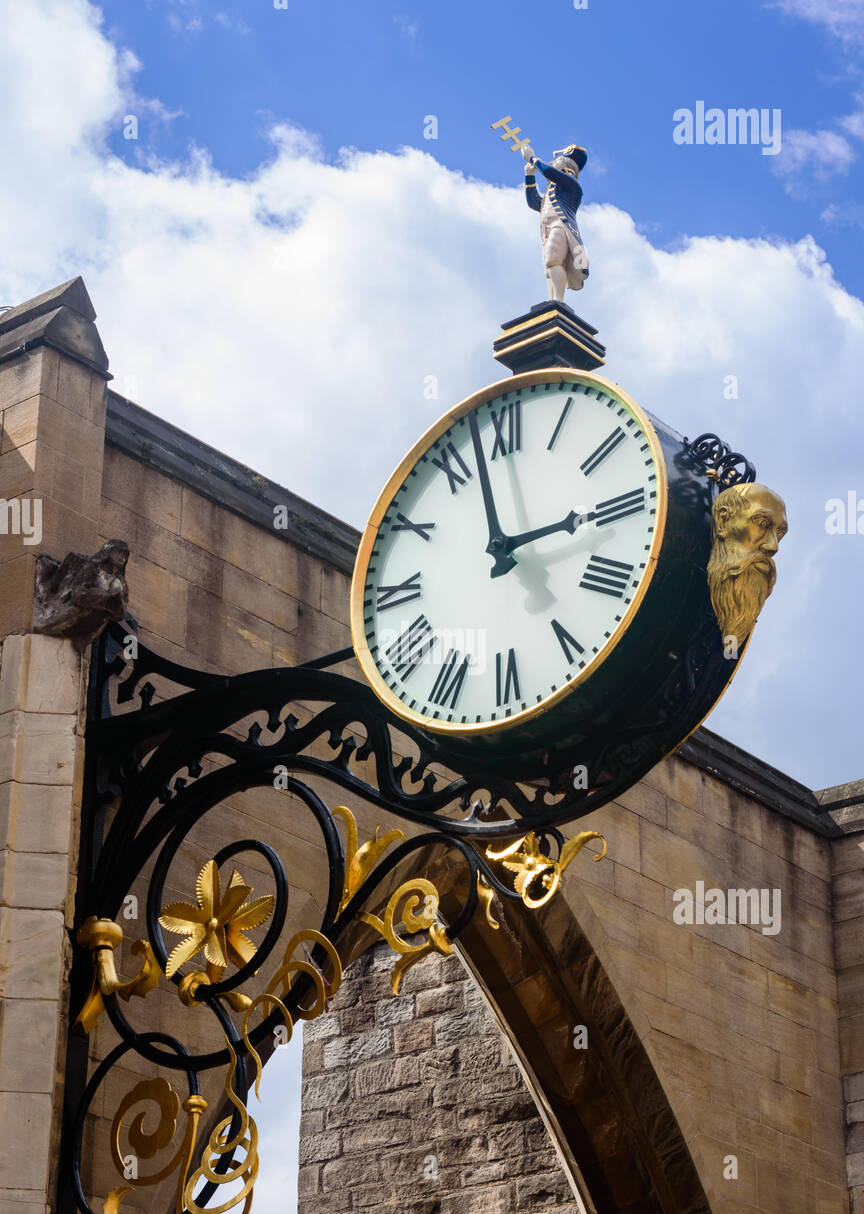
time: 2:57
